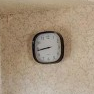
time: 8:43
